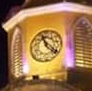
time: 11:22
